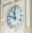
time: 11:47
